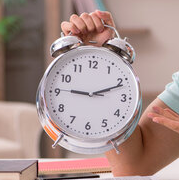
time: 9:11
